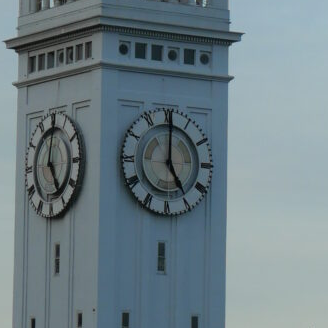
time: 5:00
